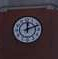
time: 12:11
